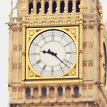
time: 9:21
